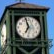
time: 6:57
